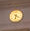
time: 6:20
